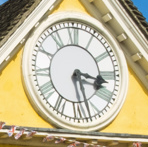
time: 3:27
